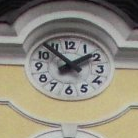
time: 1:52
